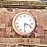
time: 3:30
